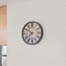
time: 7:50
